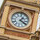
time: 1:20
